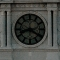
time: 8:20
